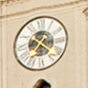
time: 7:21
